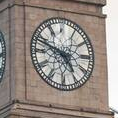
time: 4:48
